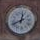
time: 12:41
